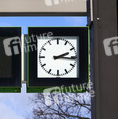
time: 2:15
